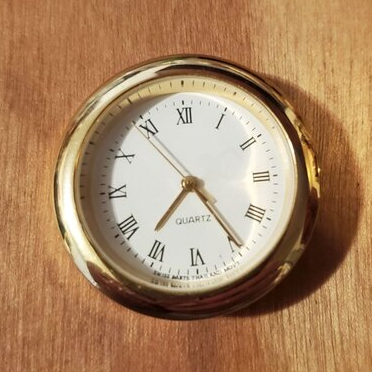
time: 7:24
